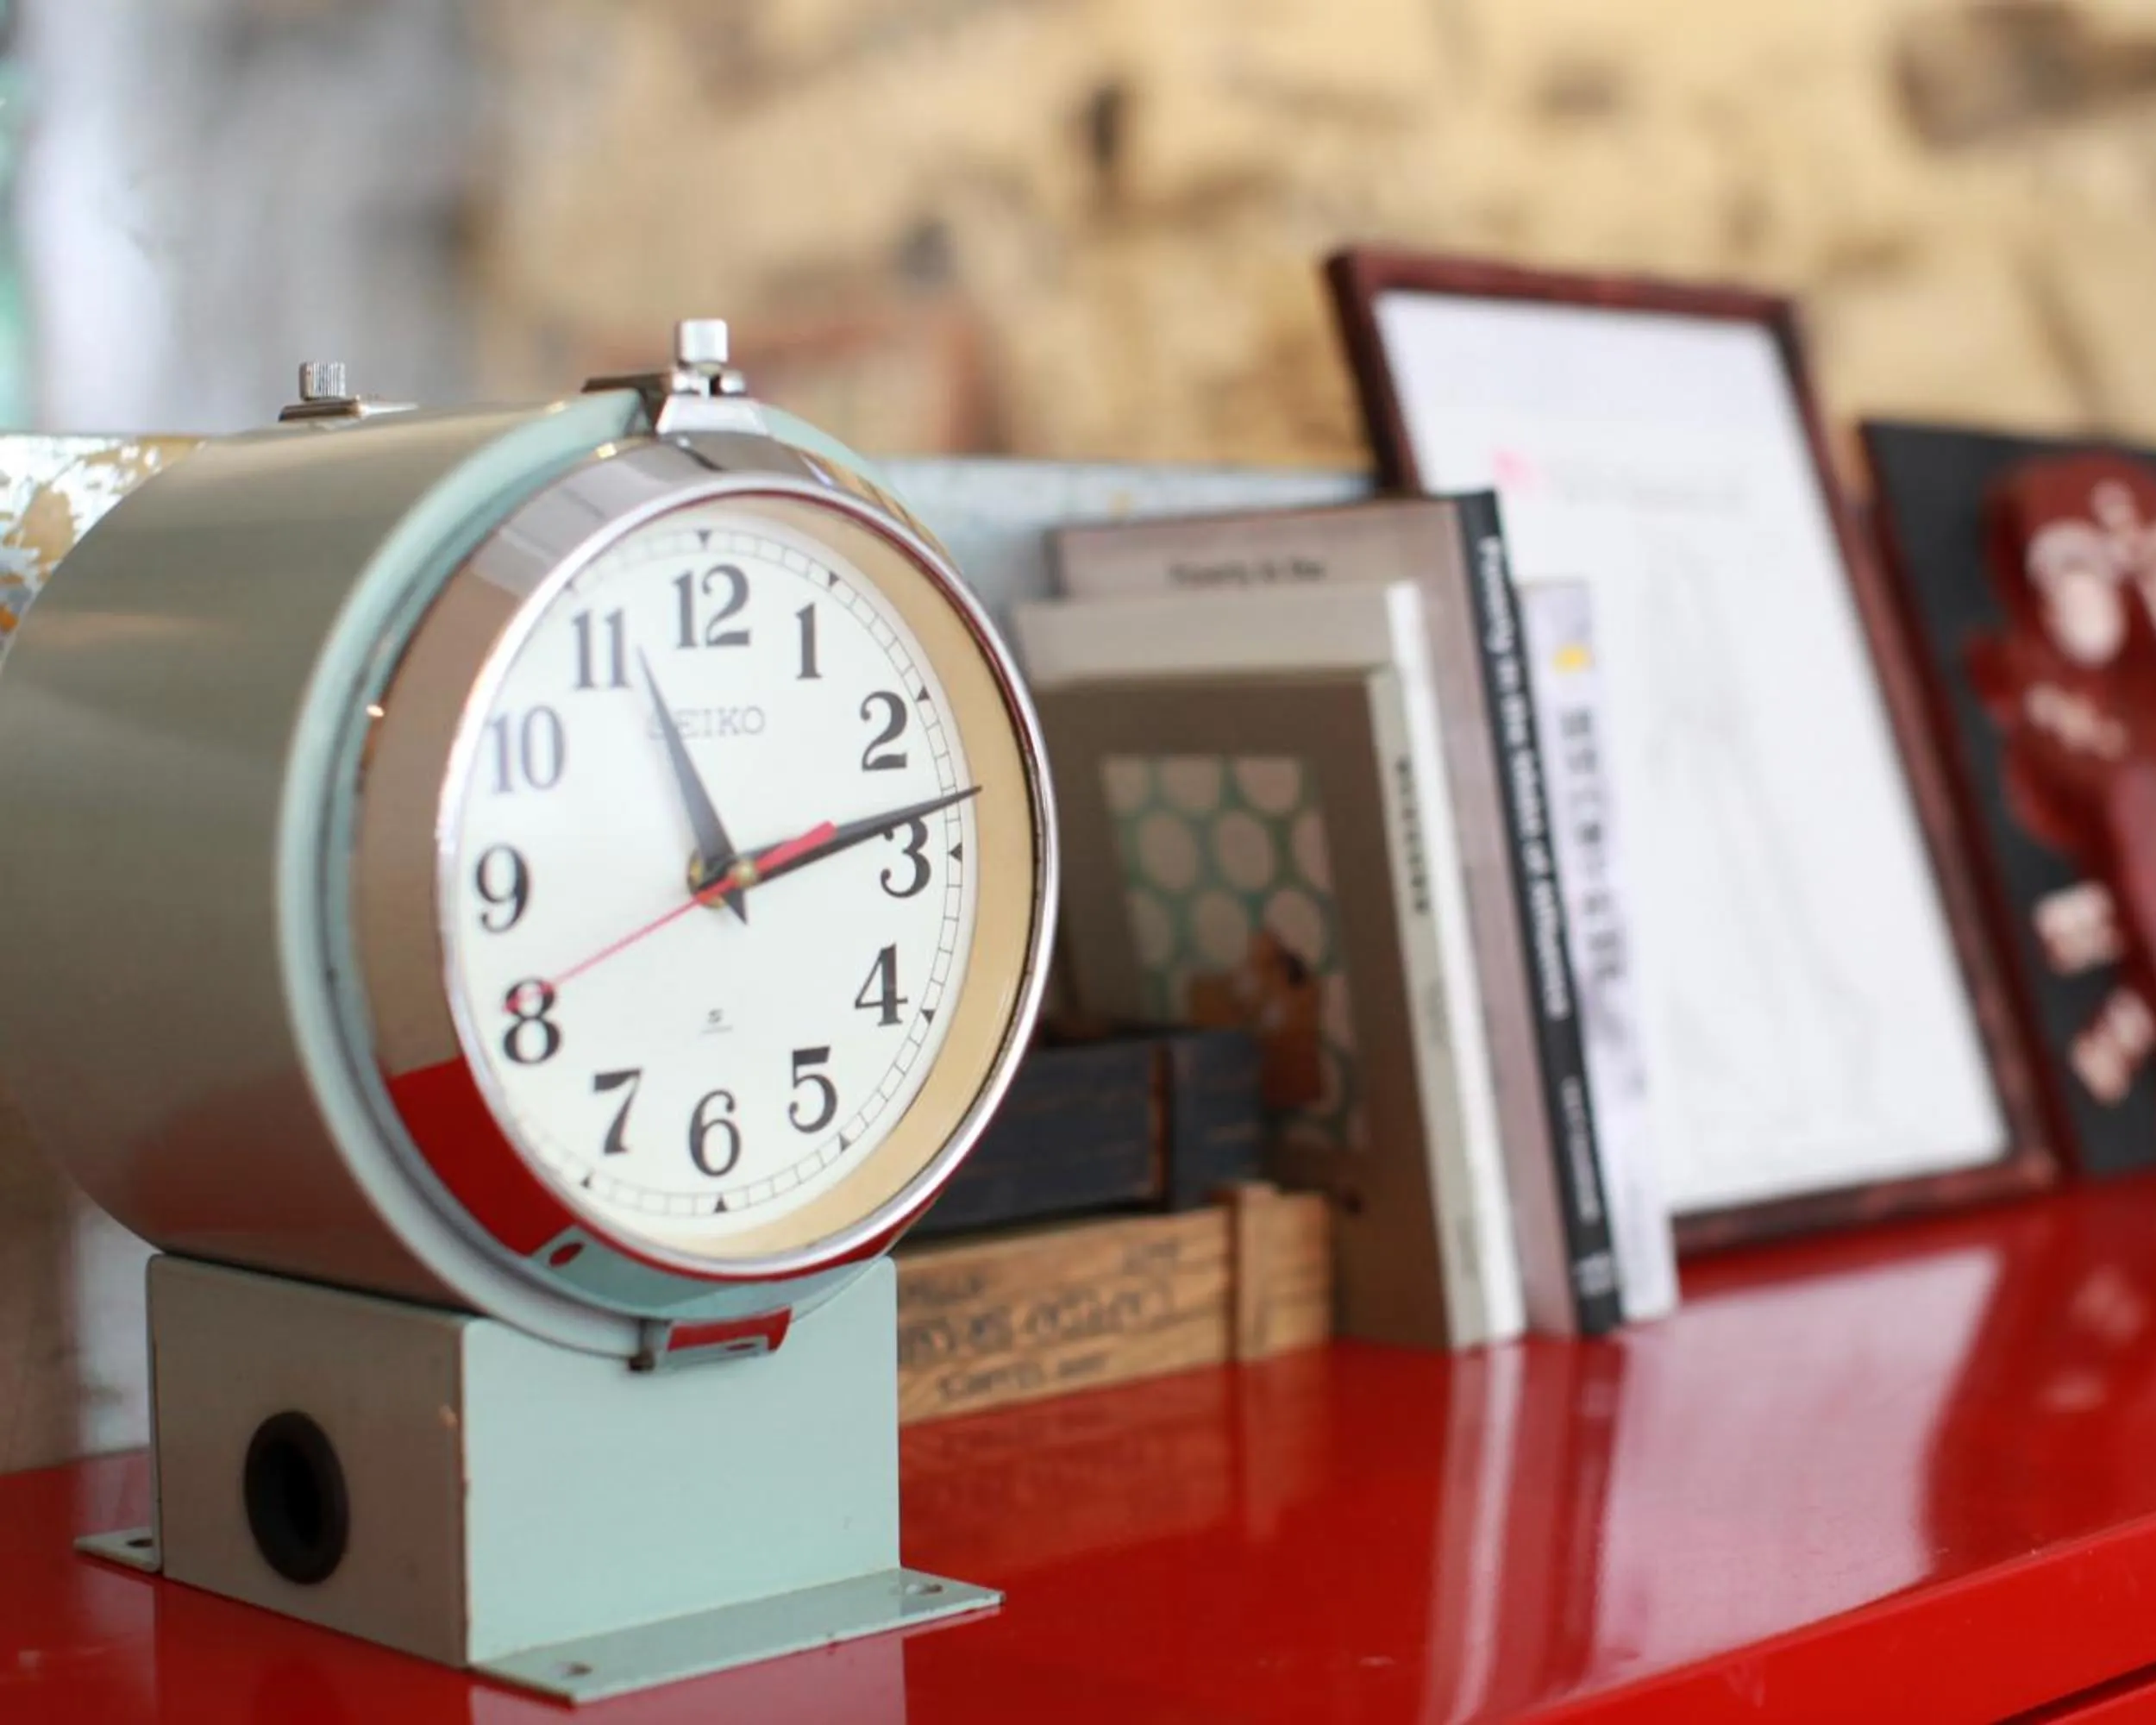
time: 11:13
